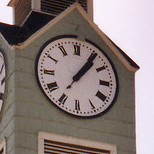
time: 1:06
